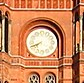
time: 7:41
